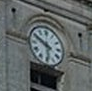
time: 5:49
